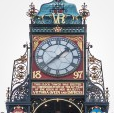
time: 1:38
